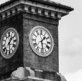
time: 1:28
